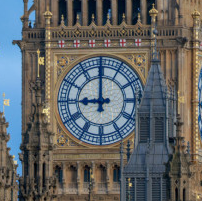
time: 8:59
